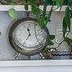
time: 11:35
